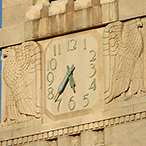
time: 5:36
